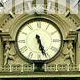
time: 5:26
